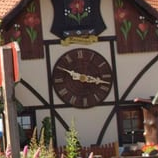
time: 3:49
